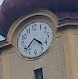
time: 4:37
